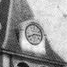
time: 8:14
